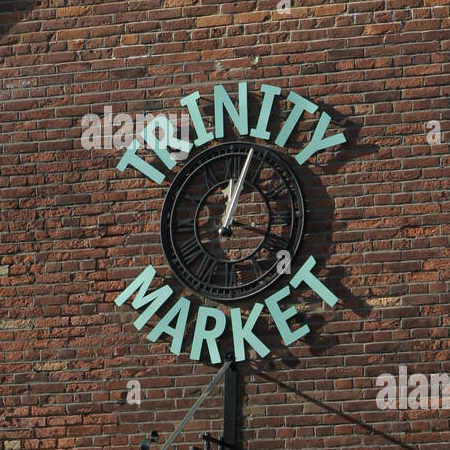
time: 12:02
